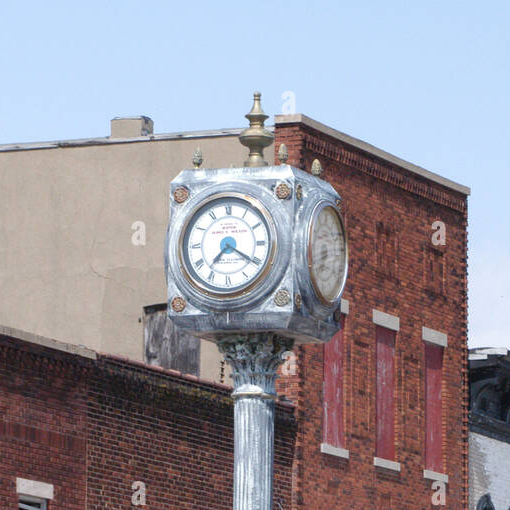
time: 7:20
